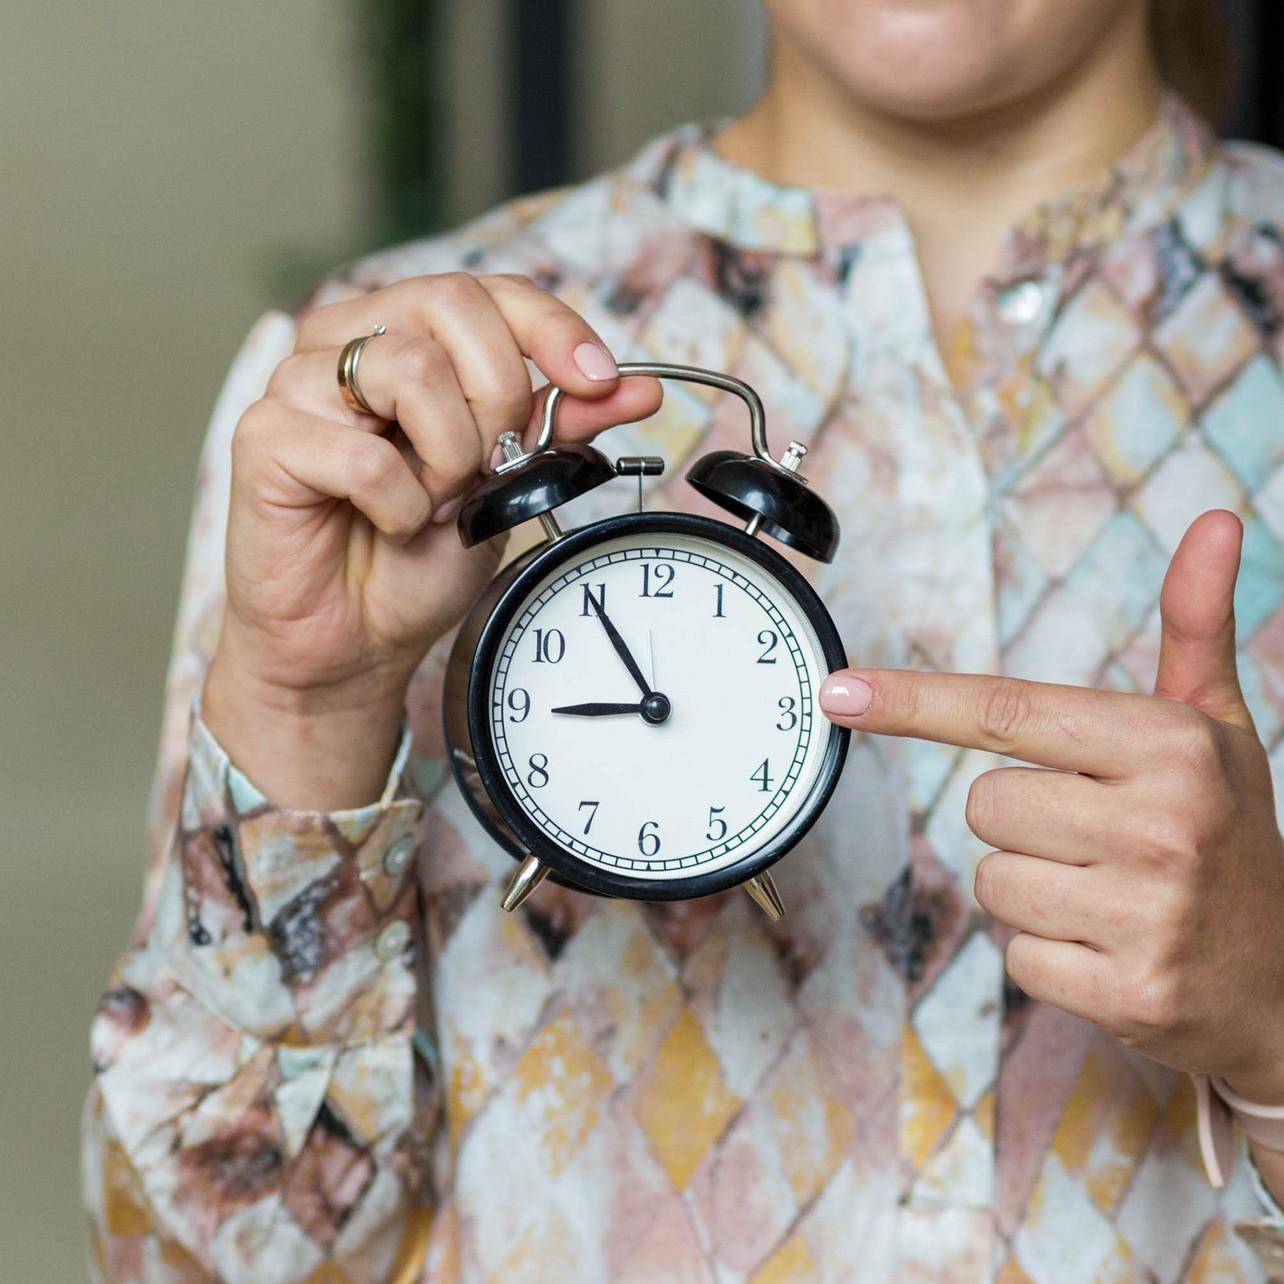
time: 8:54
